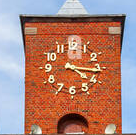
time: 4:15
